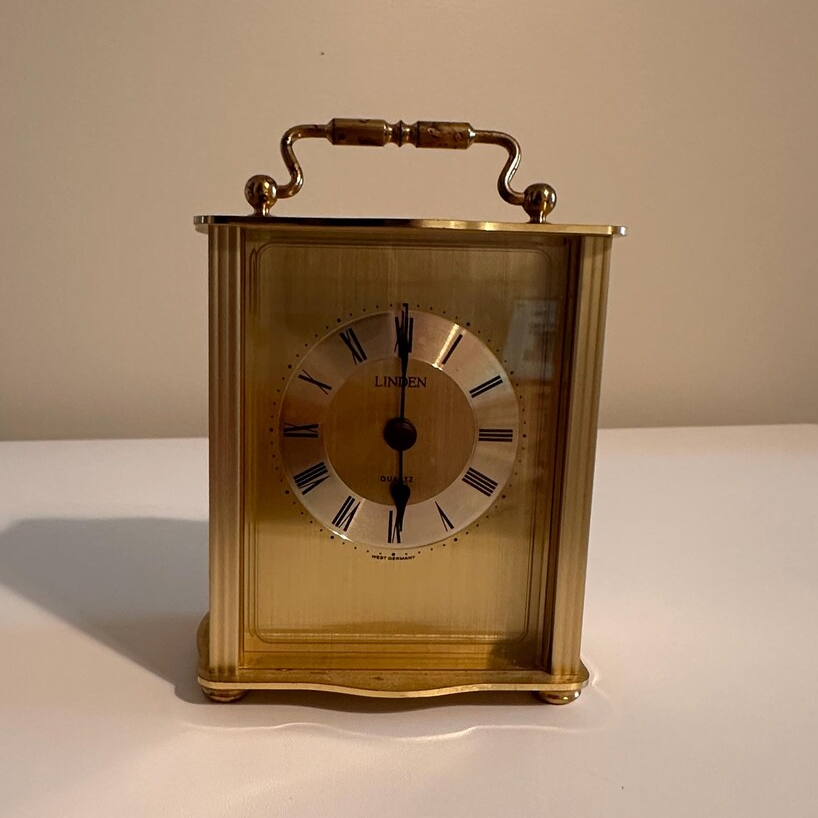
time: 6:00
